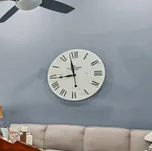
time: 8:57
